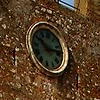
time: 10:13
